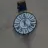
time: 12:22
